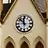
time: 11:52
